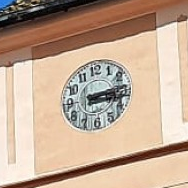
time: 3:14
